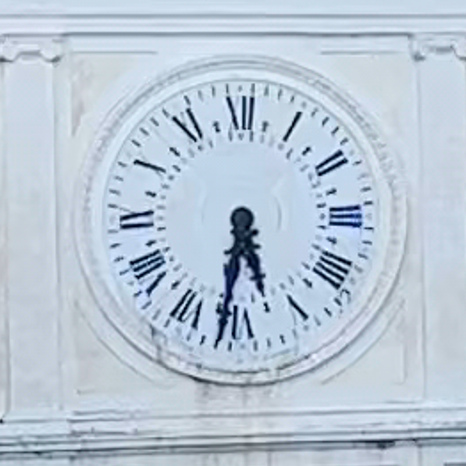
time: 5:31
